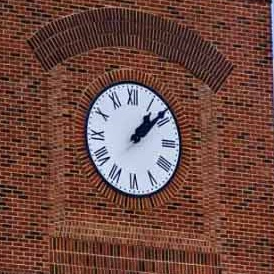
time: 1:08
